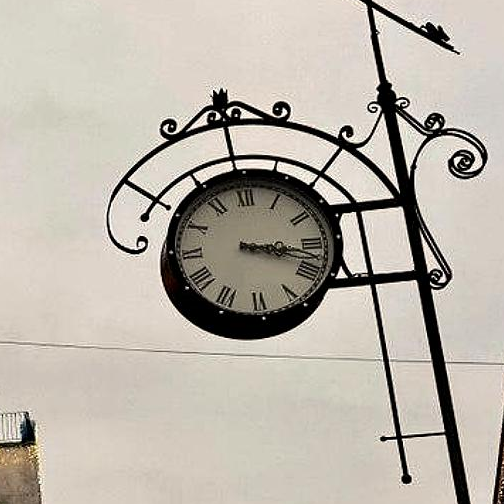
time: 3:17
